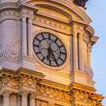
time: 6:25
